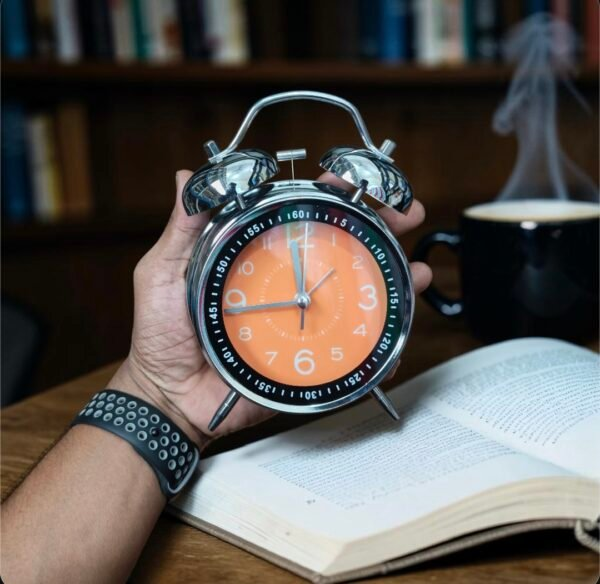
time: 11:44
